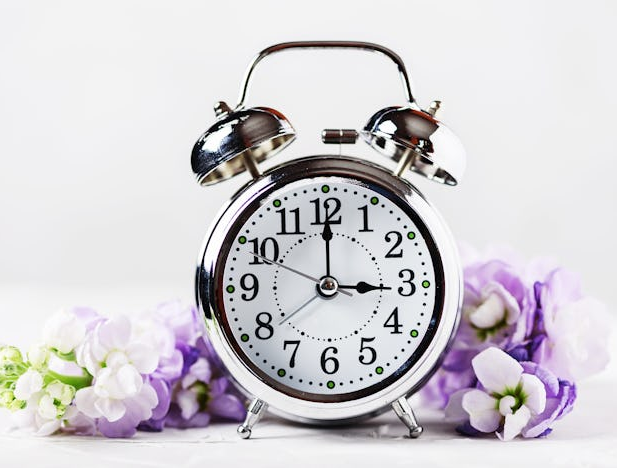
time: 3:00
